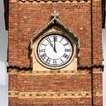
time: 10:59
